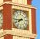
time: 7:43
